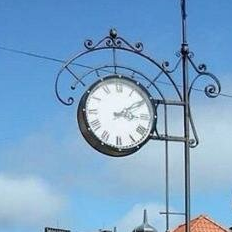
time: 3:09
